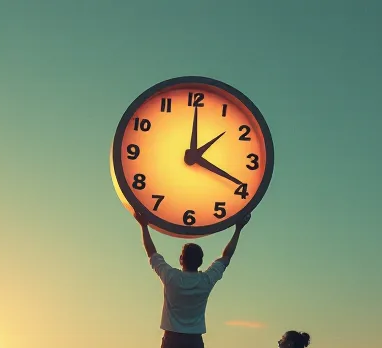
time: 4:00
